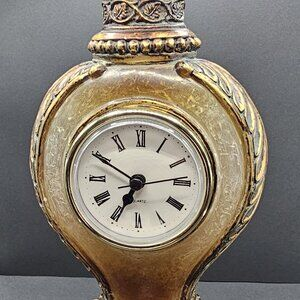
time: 6:50
